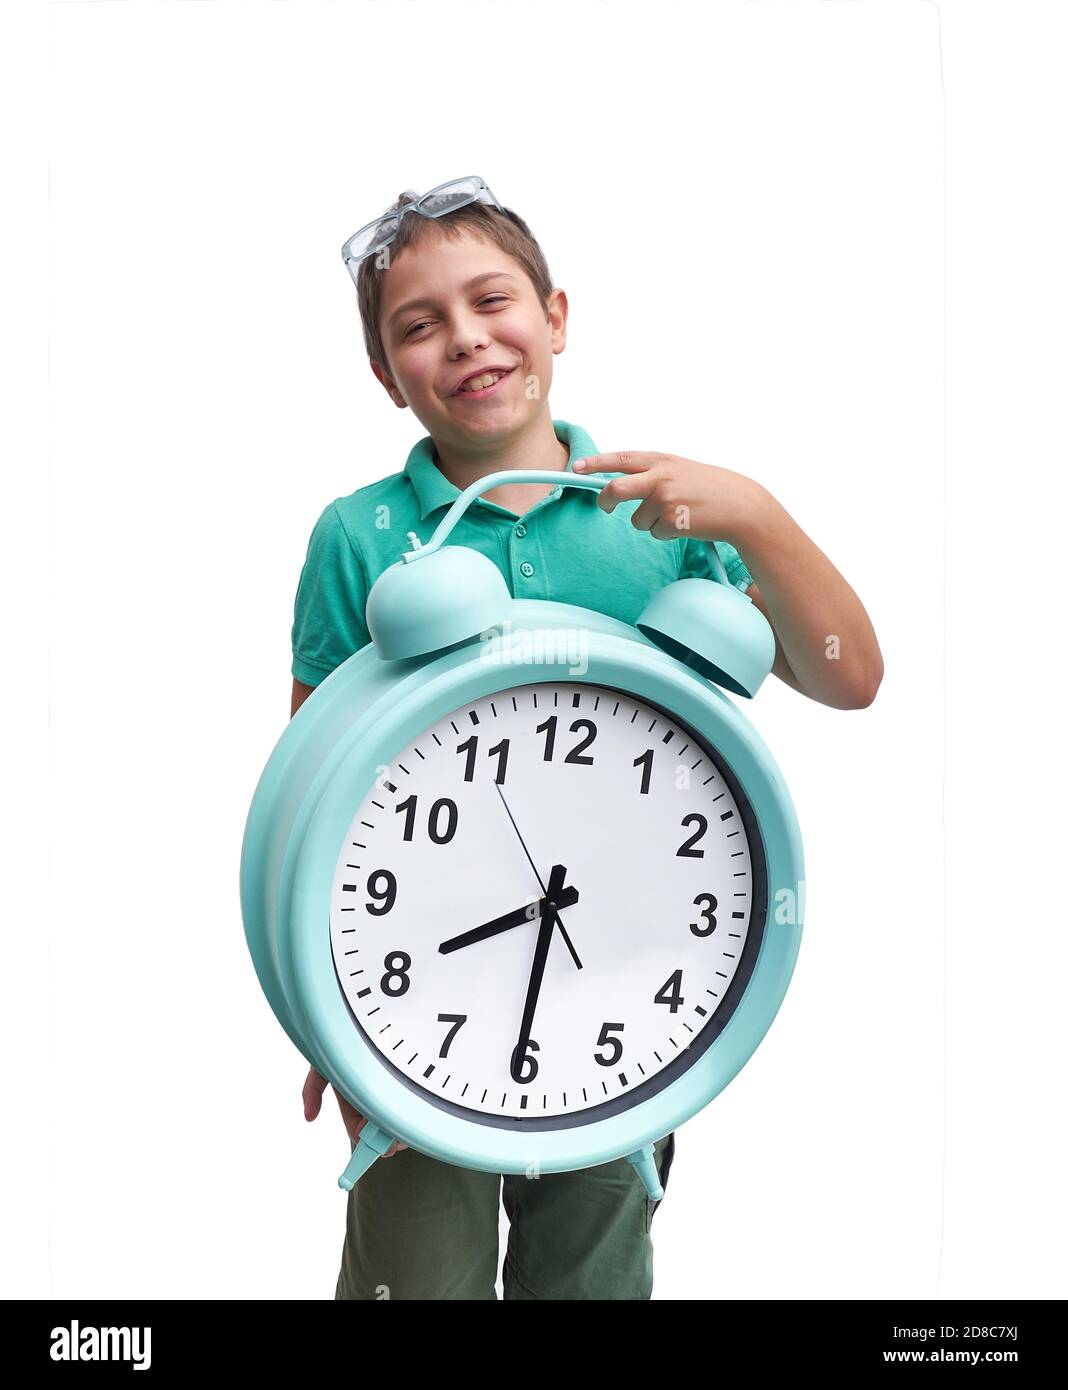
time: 8:30
